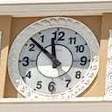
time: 11:52
